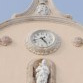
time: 4:42
